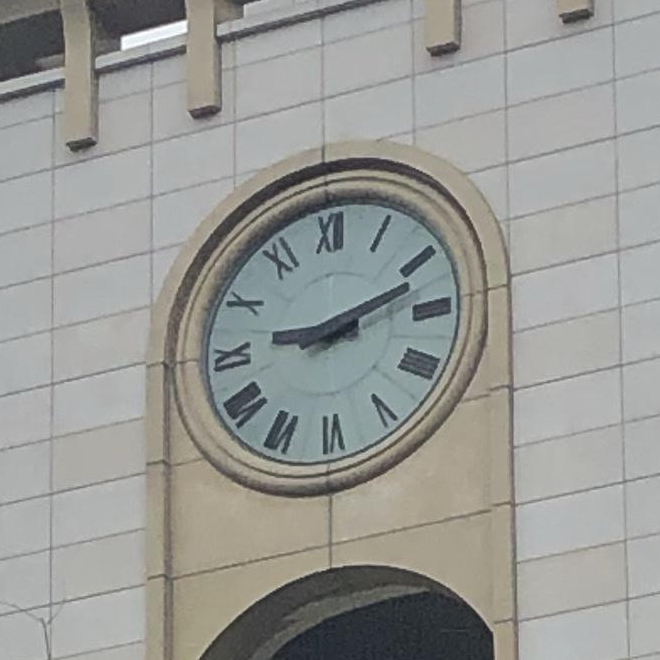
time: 9:12
